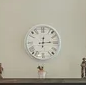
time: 12:13
